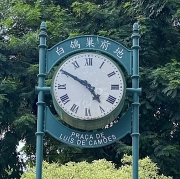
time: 4:50
